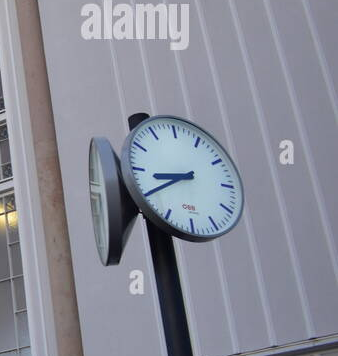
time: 8:40
